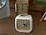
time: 4:12
